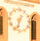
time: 12:32
